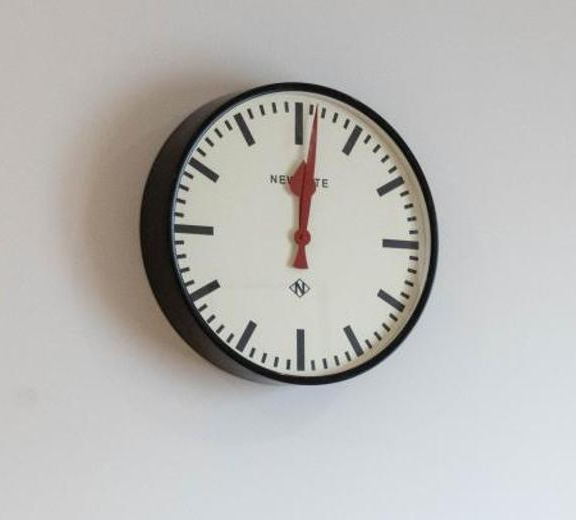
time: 12:01
